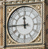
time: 11:44
